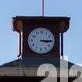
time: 3:14
